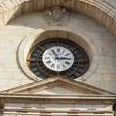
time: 2:56
